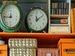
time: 12:09
